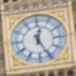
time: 12:25
